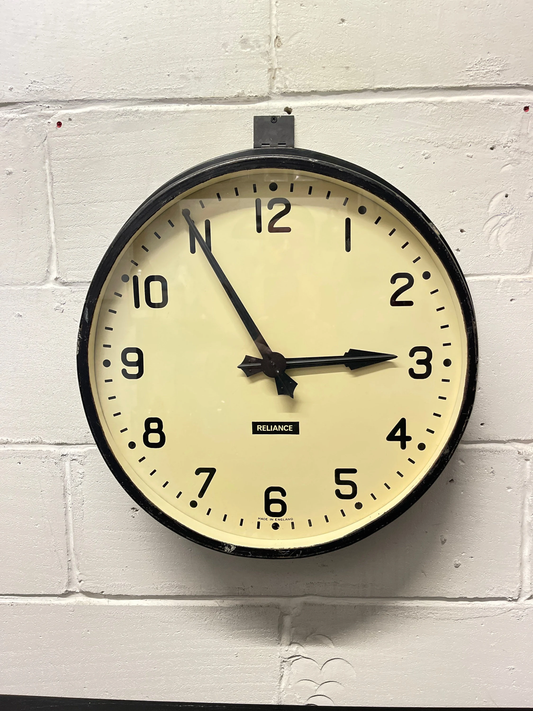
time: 2:54
